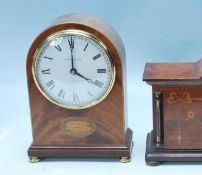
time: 4:00
